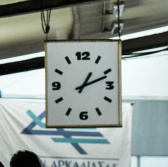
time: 1:11
